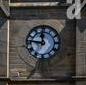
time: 11:46
